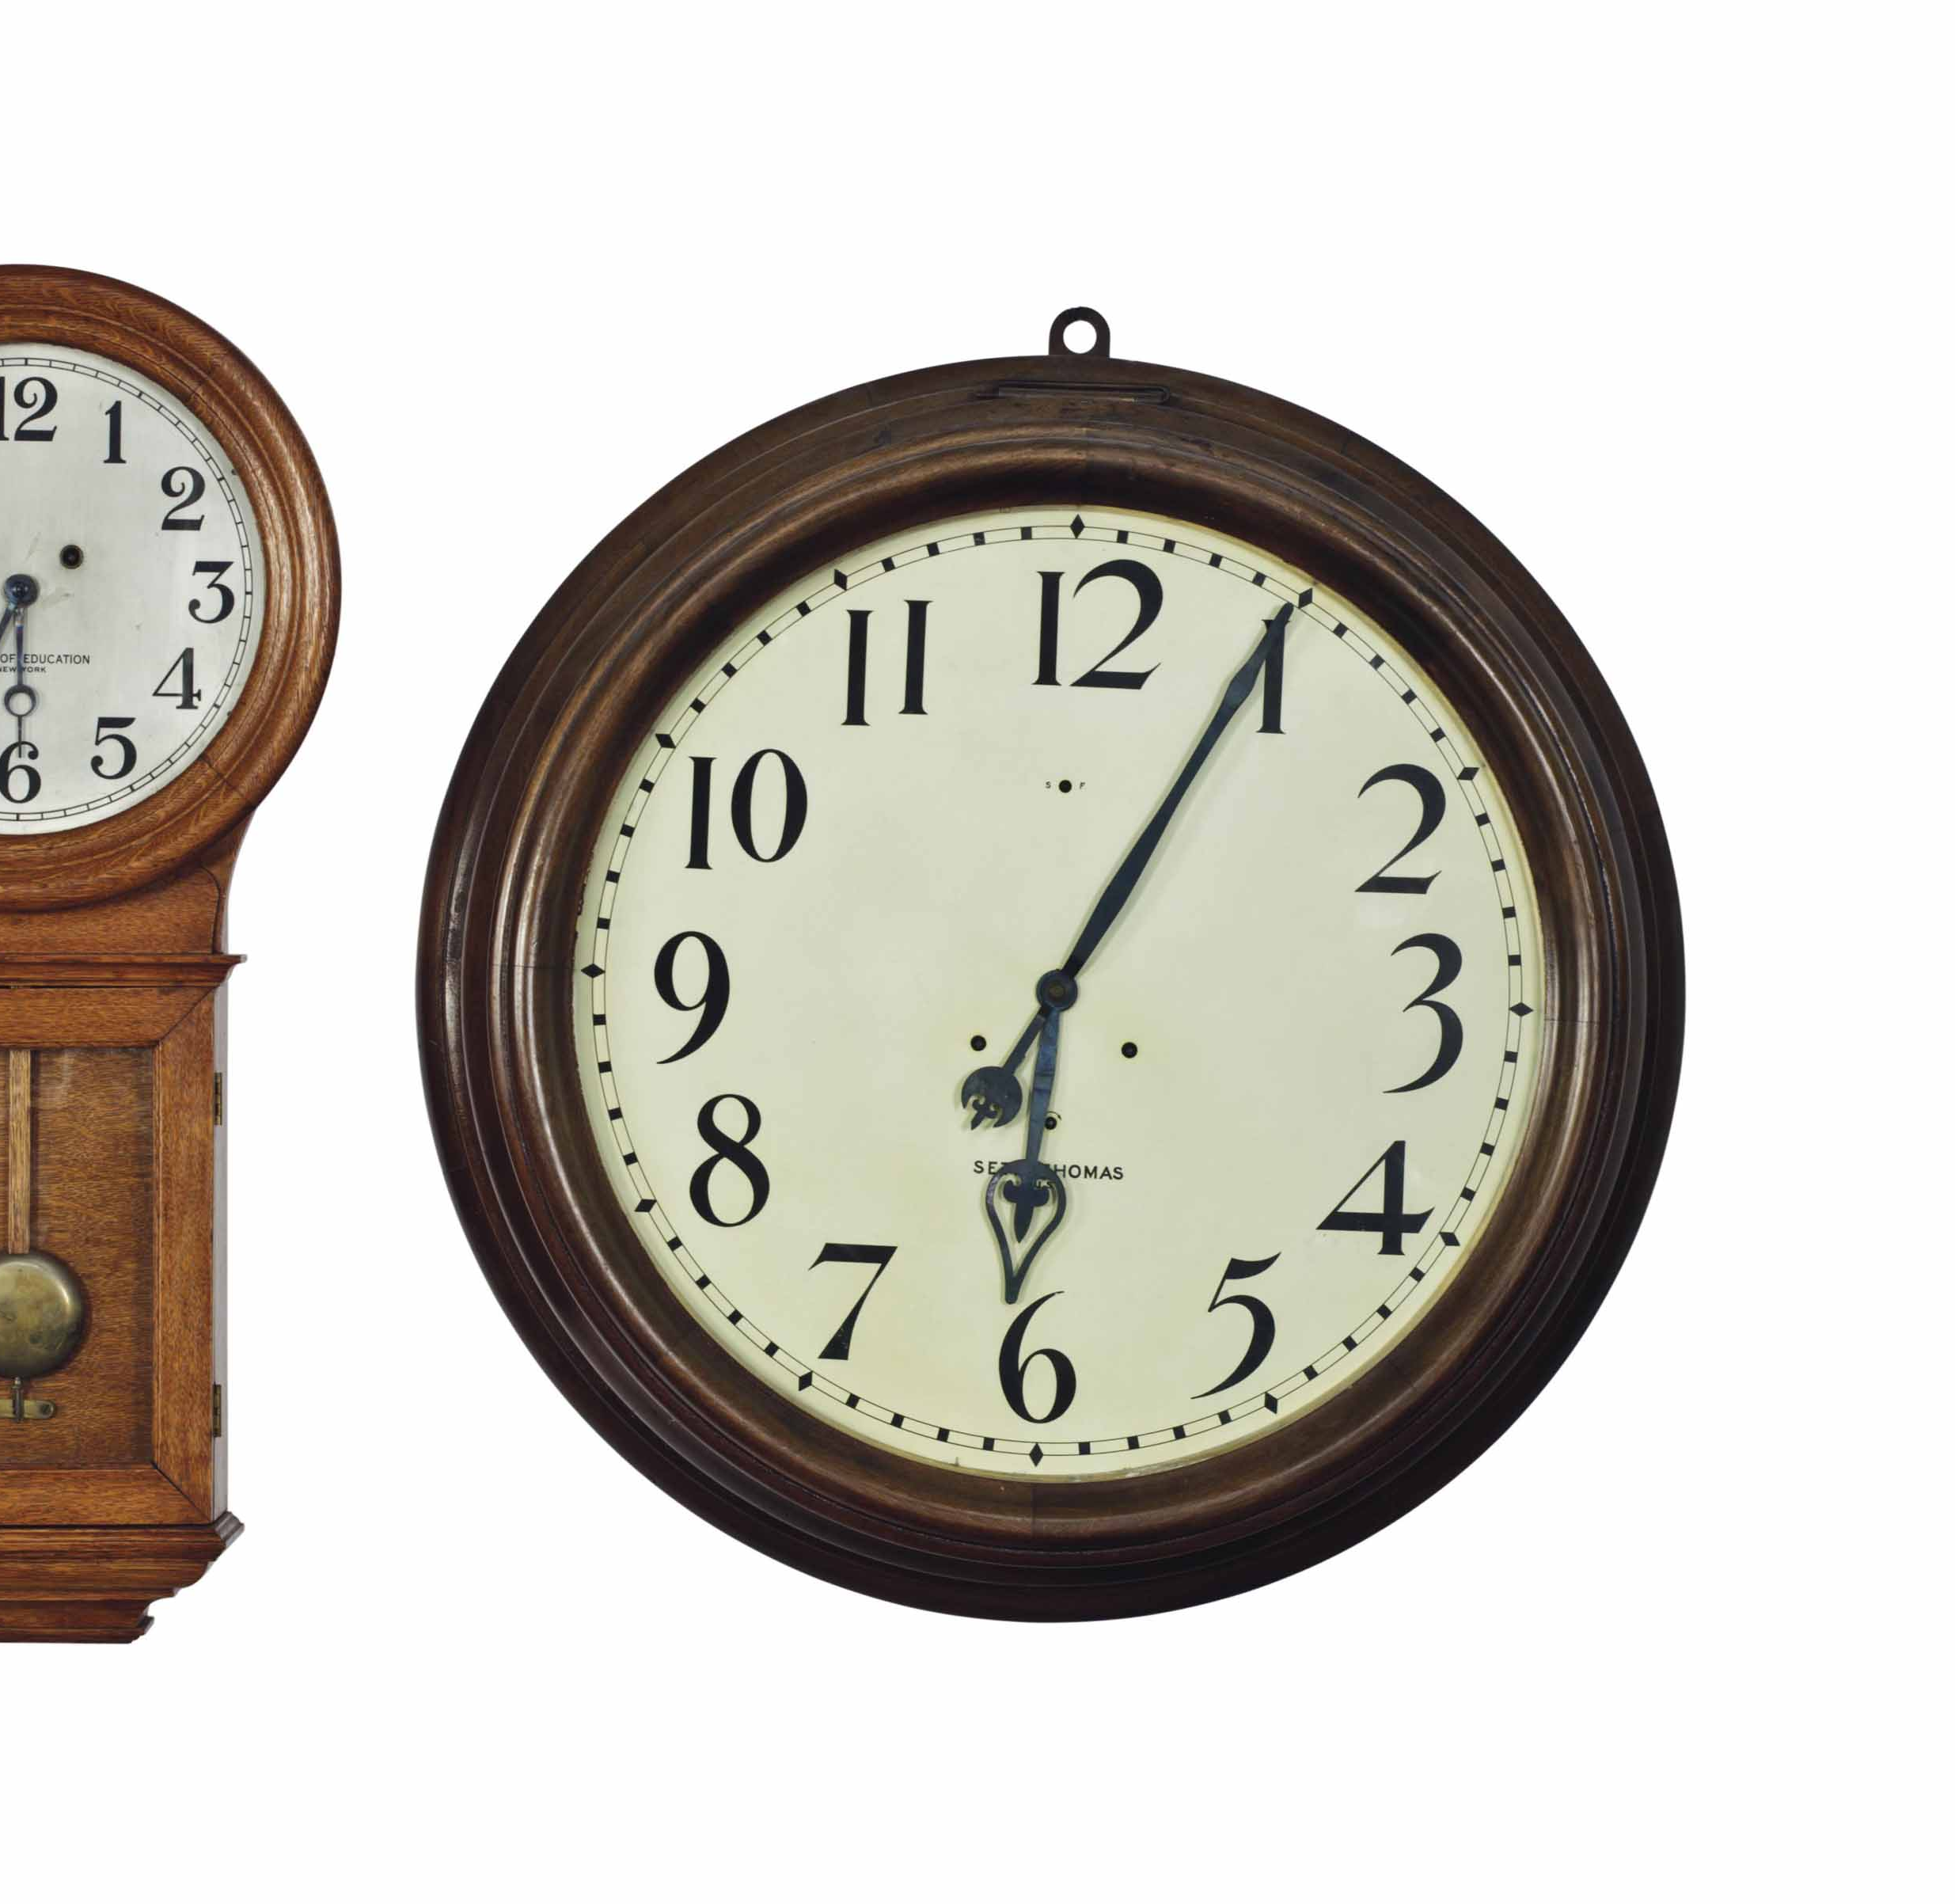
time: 6:04
